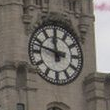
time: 11:47
